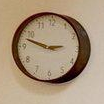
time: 2:47
